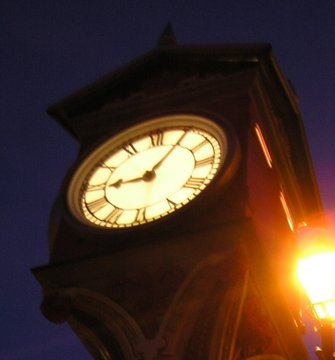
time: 9:05
